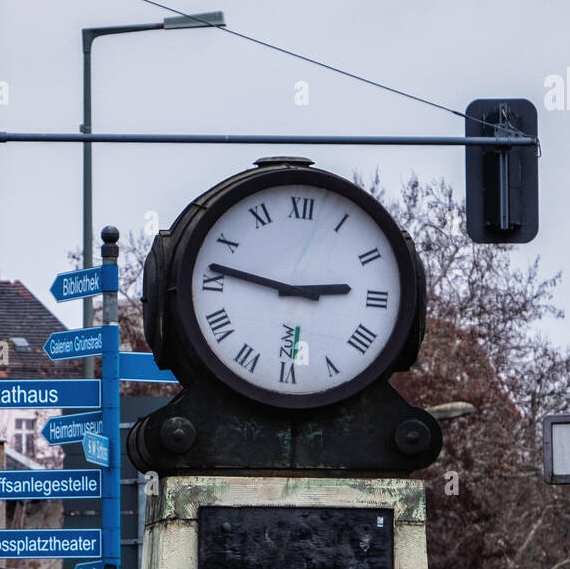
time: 2:46
